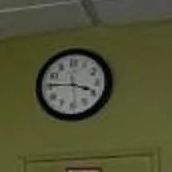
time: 3:45
